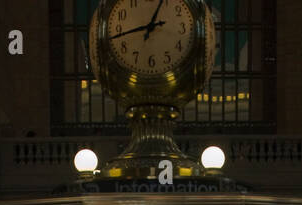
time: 12:43
